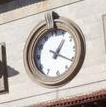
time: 1:20
